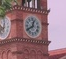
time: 12:40
